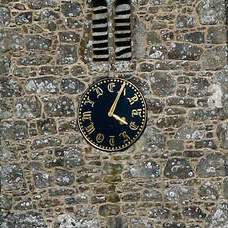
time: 4:04
